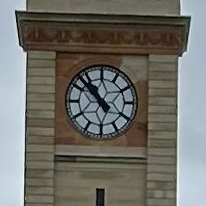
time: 10:52
